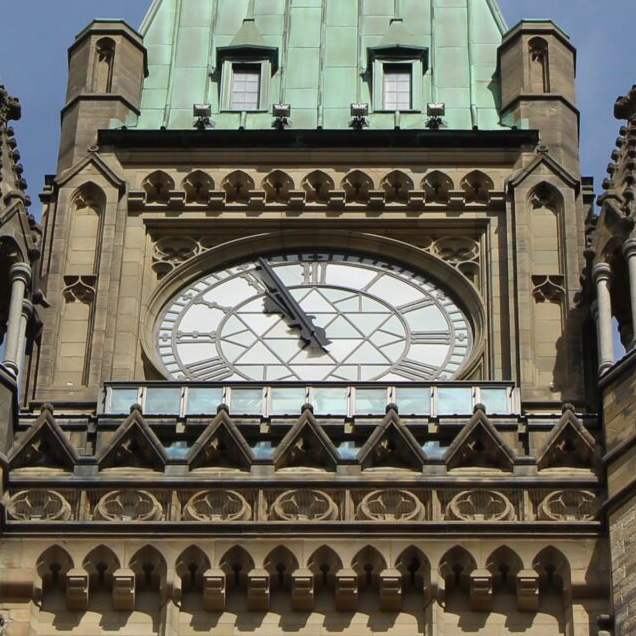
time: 10:56
